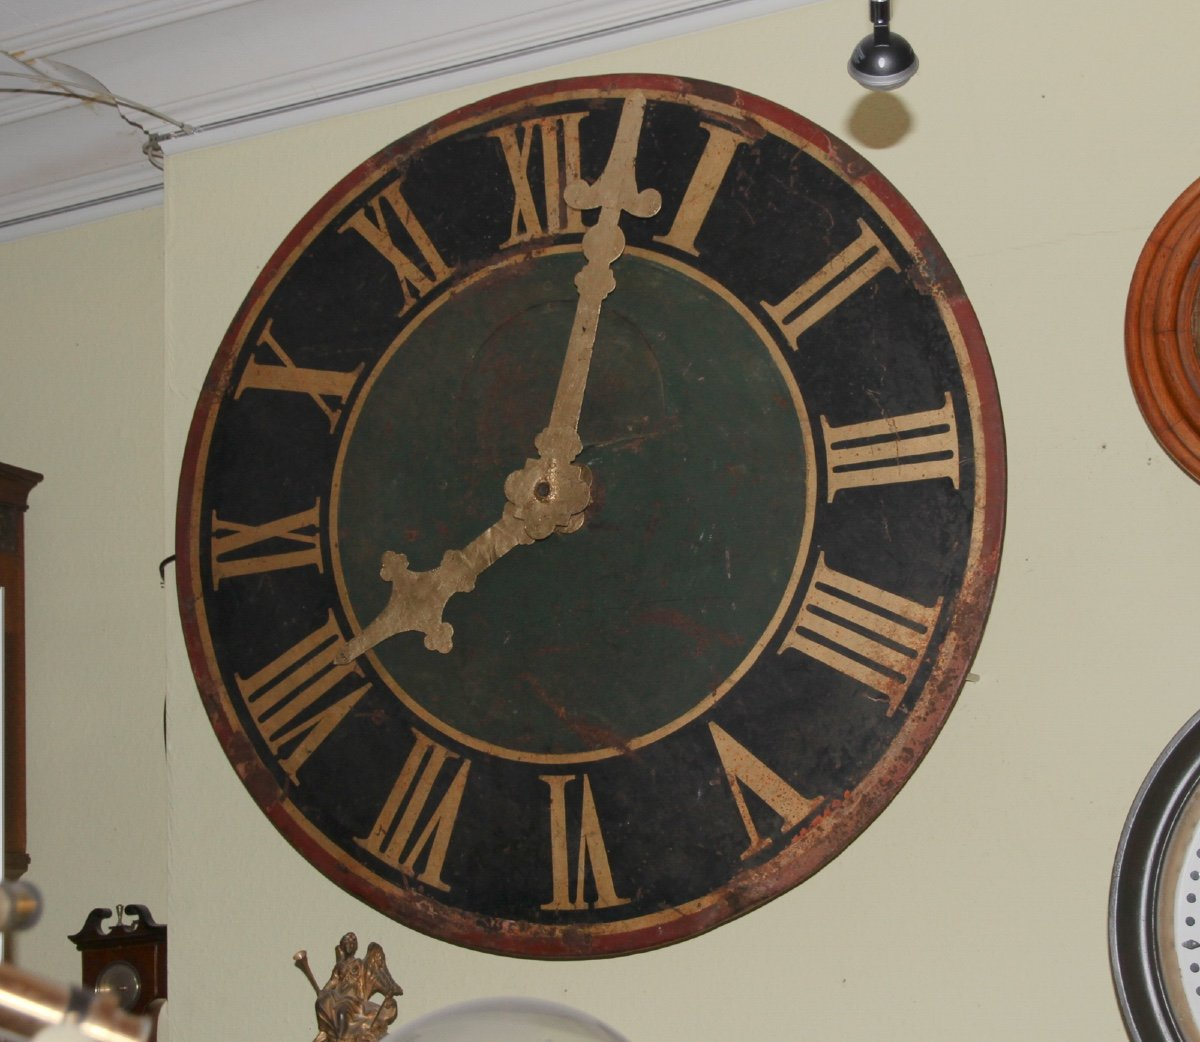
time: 8:02
